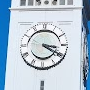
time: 3:20
